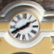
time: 1:40
